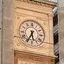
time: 5:34
